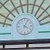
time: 4:04
